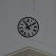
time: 11:09
